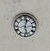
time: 12:27
